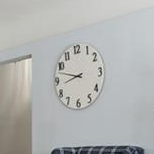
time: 8:47
